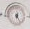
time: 6:25
